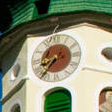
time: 8:37
